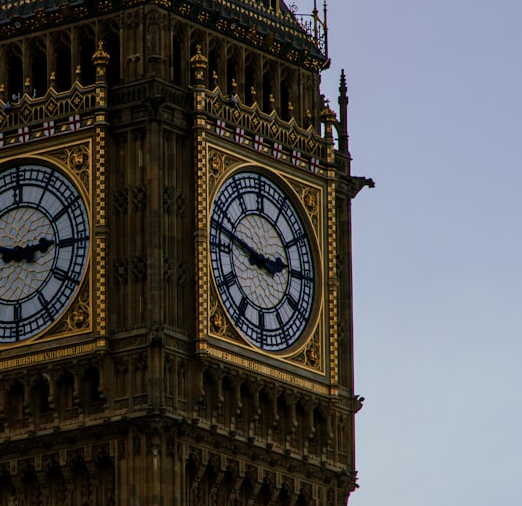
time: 2:47
